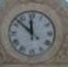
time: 11:52
